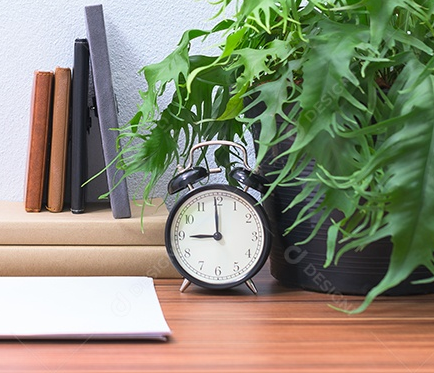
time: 8:59
